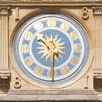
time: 10:30
